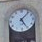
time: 5:06
